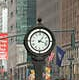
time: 1:18
